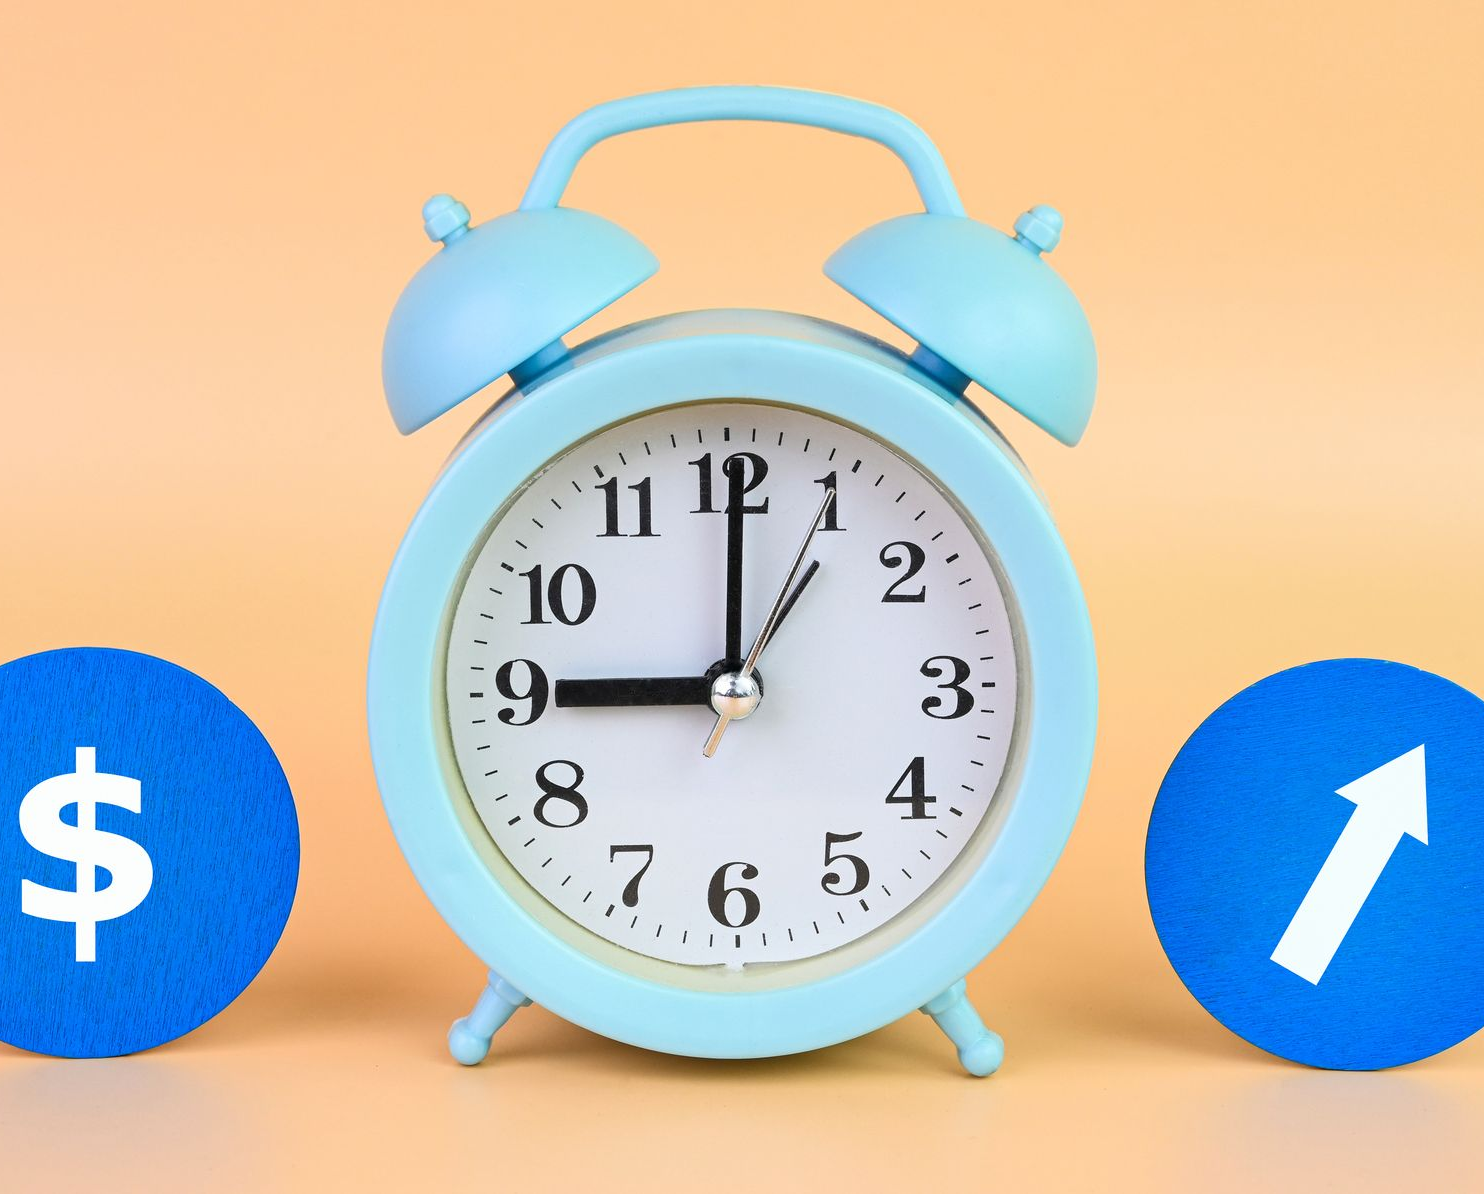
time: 9:00
